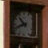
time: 10:41
